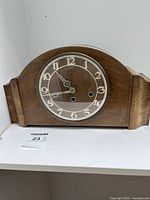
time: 10:43
